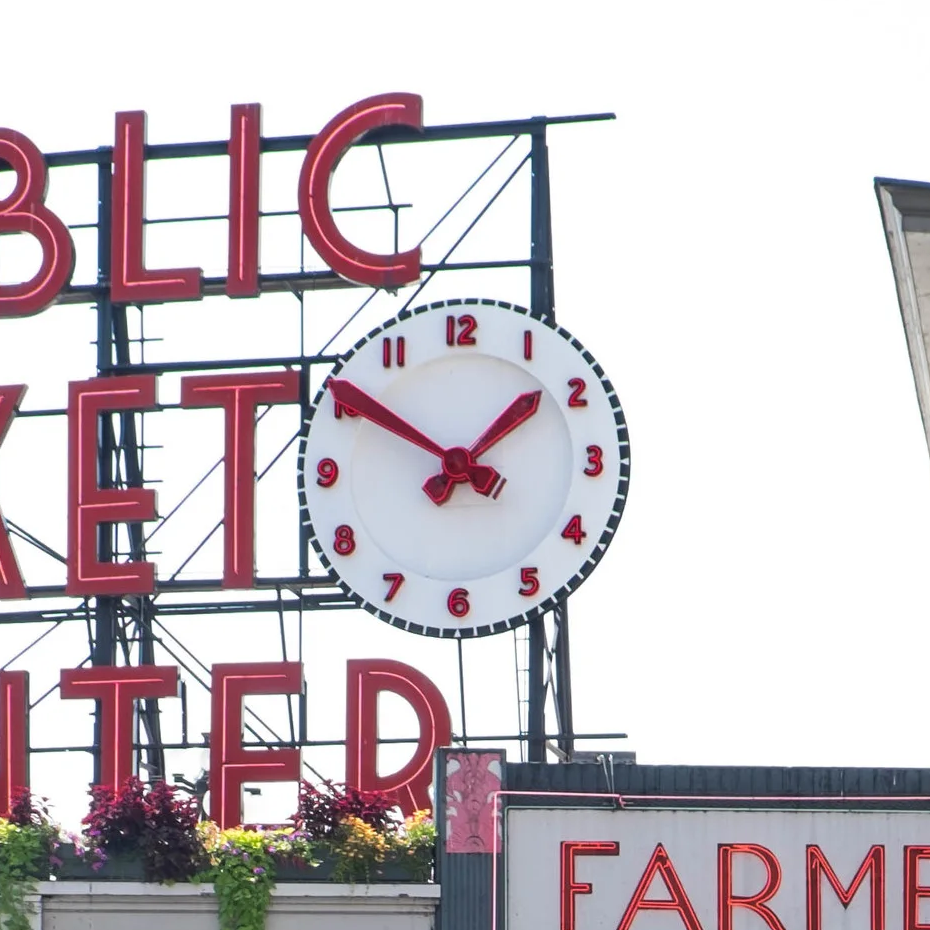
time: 1:50
